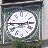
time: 2:46
